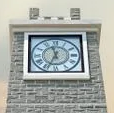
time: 11:33
